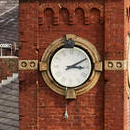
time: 3:10
